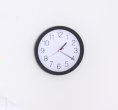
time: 1:20
